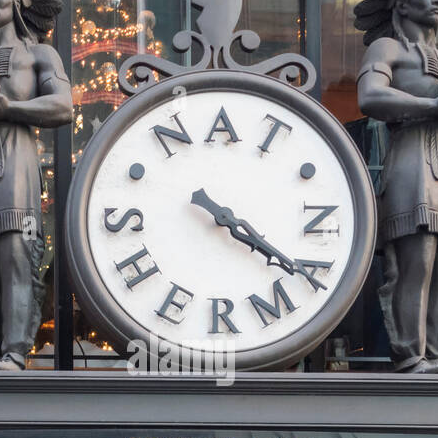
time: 4:21
